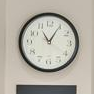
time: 11:05
